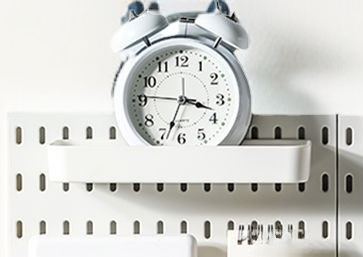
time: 3:33
